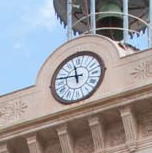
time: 11:46
